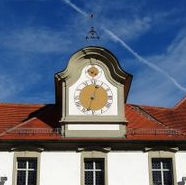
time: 12:32
